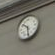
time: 10:28
